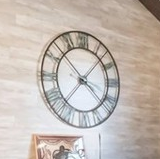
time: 4:07
